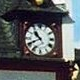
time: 10:41
